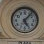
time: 5:06
